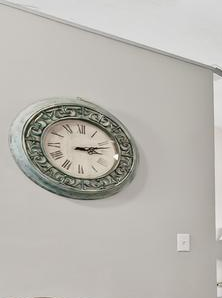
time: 3:12
